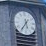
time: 5:36
